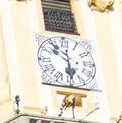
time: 5:51
